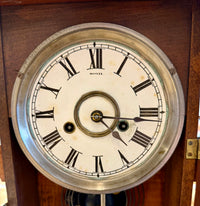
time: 4:16
